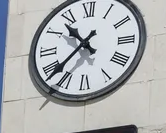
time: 10:37
